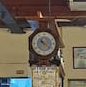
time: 10:21
